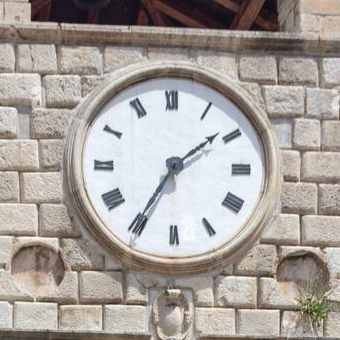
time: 1:35
